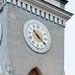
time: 10:20
